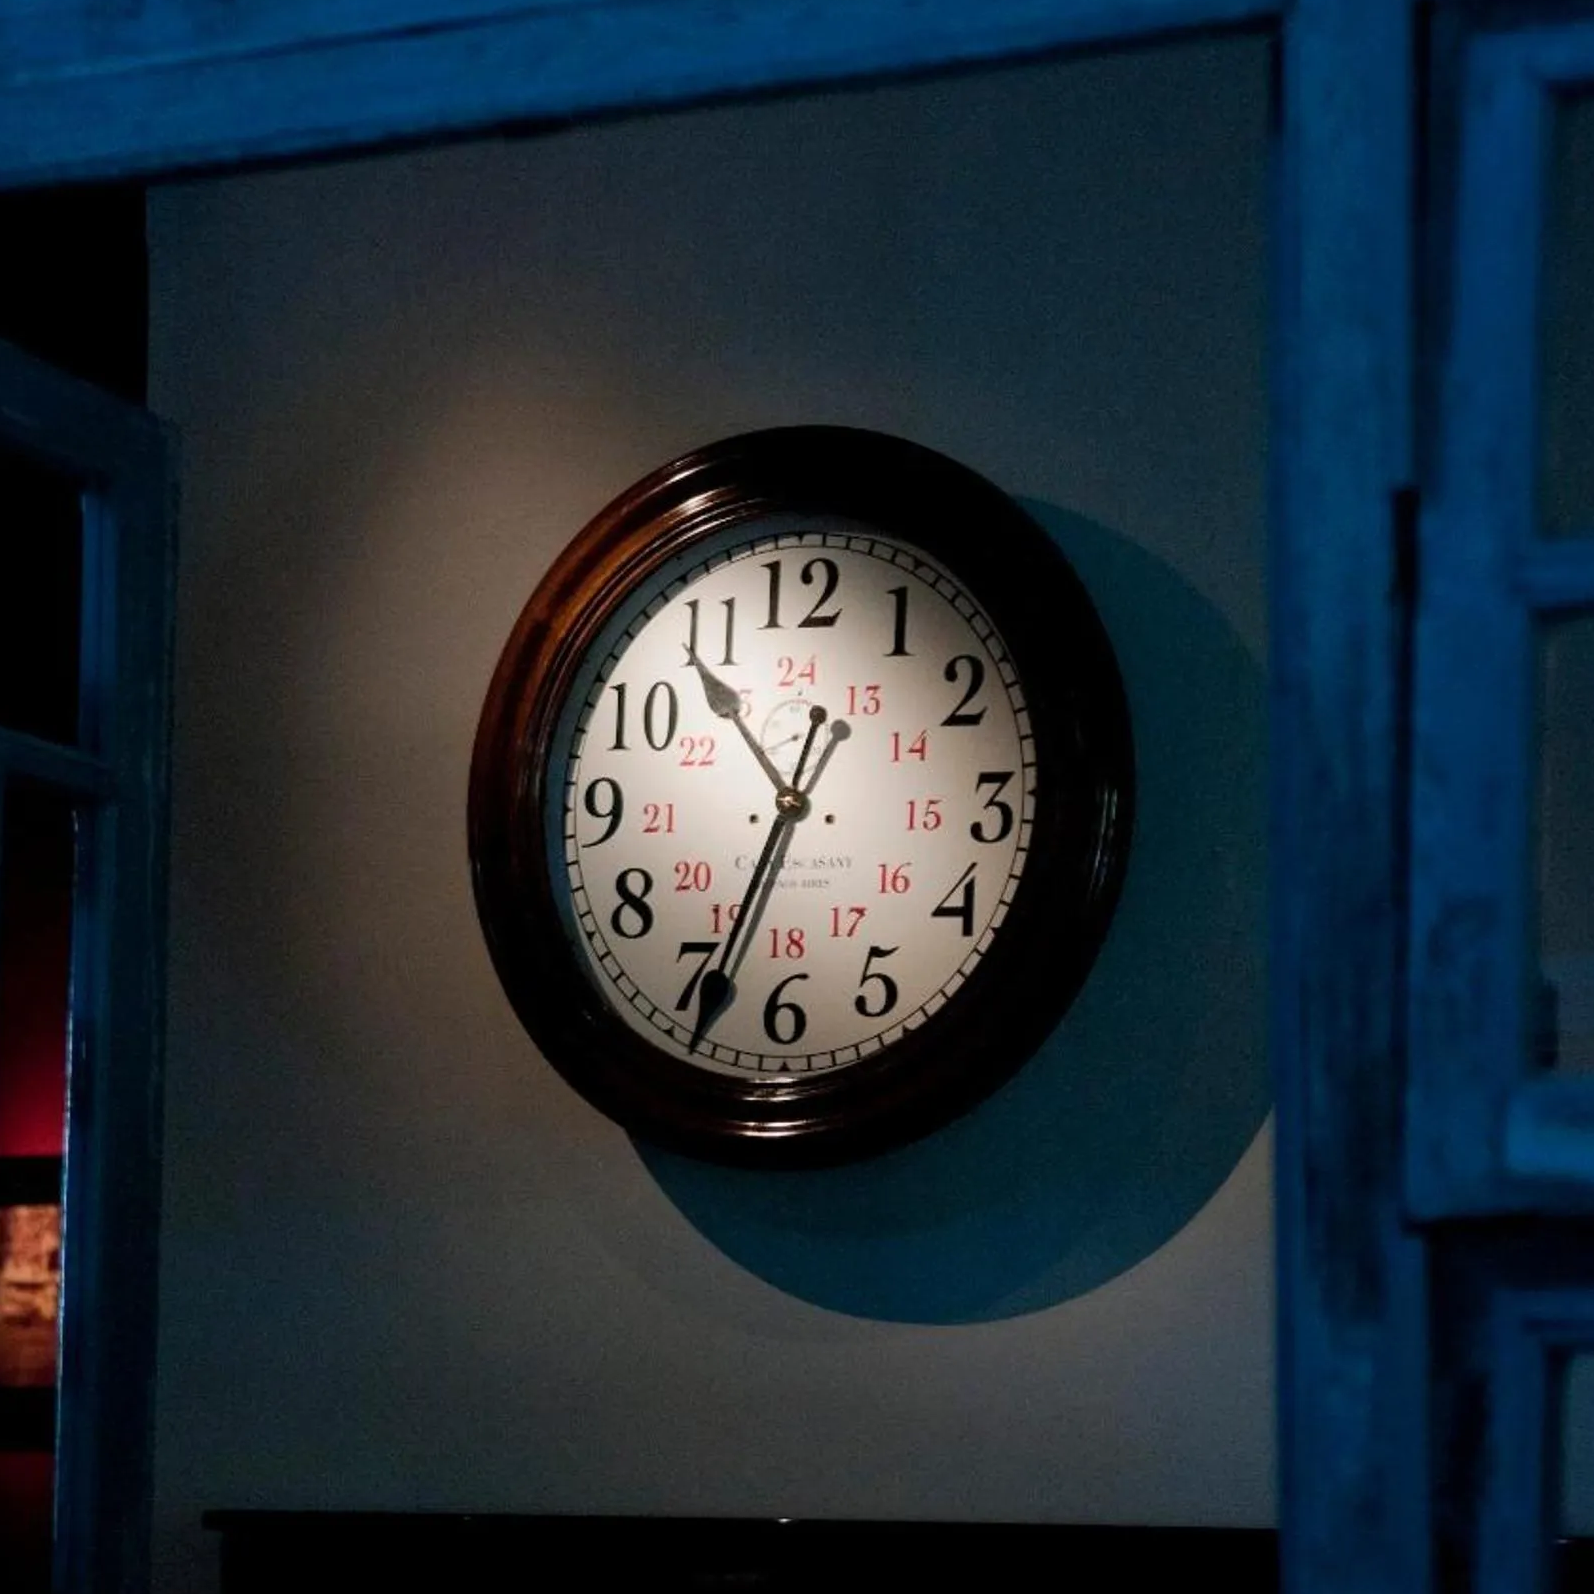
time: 10:34
